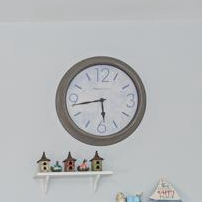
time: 5:43
